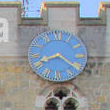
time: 8:21
